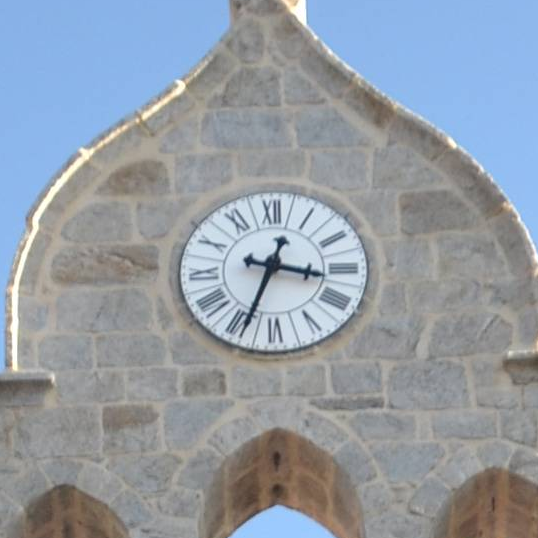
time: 3:33
